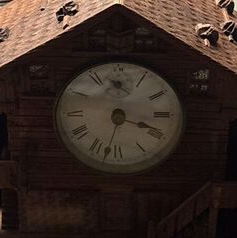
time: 3:32
